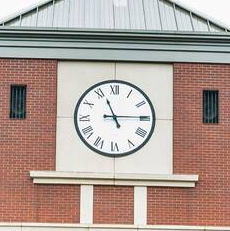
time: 11:14
